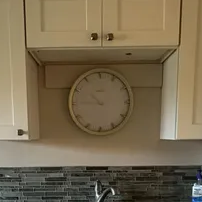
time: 10:45
